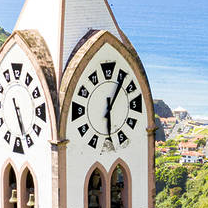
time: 6:06
